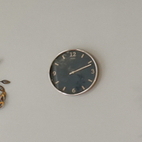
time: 4:11
